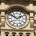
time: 1:51
